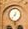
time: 12:37
